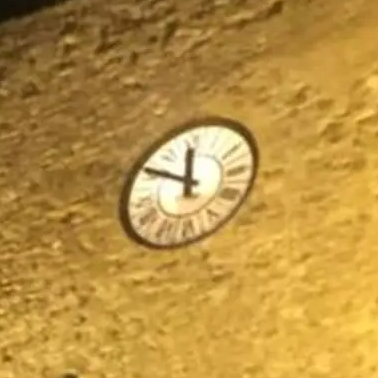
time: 11:50
